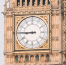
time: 8:45
